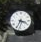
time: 3:34
